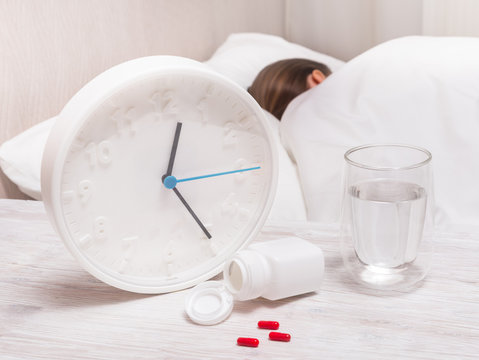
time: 12:24
